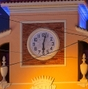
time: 6:02
